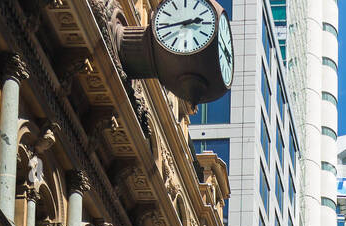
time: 2:43
